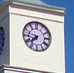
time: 7:47
